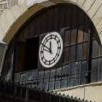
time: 11:49
